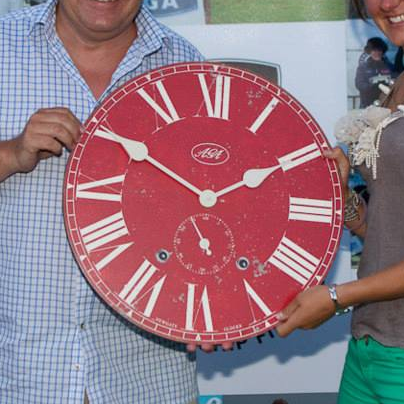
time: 1:50
